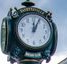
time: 12:04
